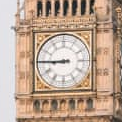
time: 8:45
